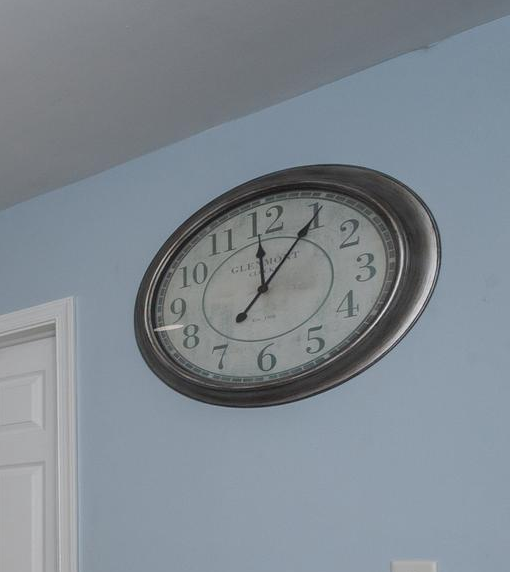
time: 12:05
